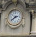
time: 2:38
